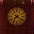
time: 7:20
